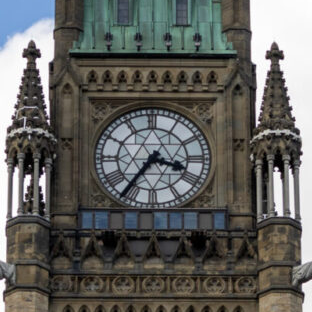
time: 3:36
